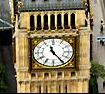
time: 11:24
